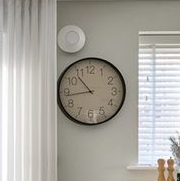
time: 10:43
